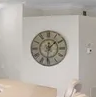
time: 1:31
